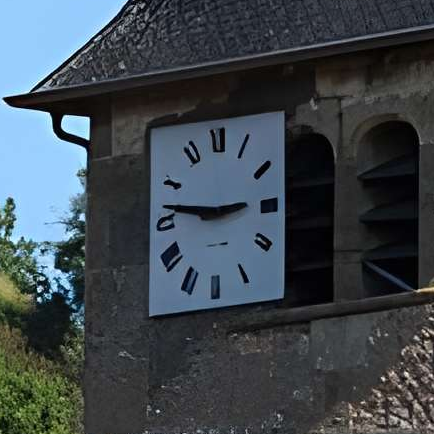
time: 2:46
